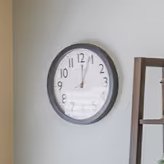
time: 12:03
